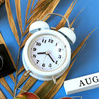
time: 8:20
